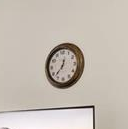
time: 12:37
